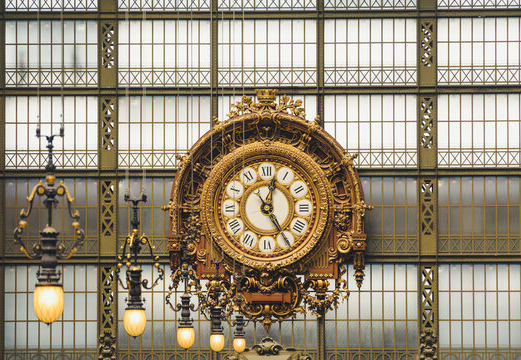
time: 12:24
